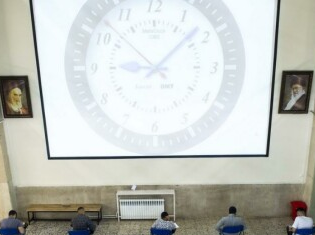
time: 9:07
